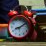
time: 8:09
